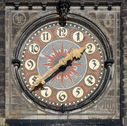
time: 1:38
